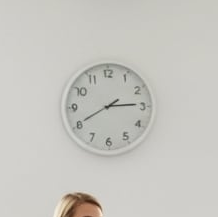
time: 2:40
